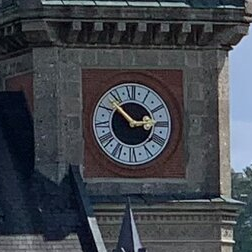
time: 2:53
